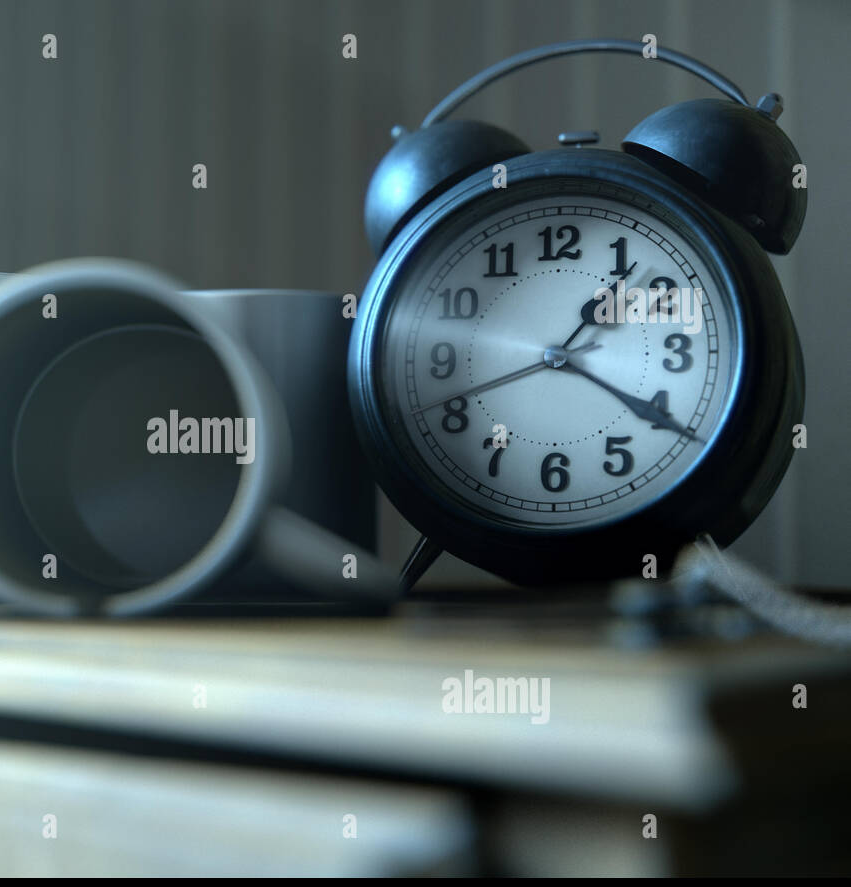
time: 1:20
